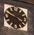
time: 3:48
